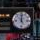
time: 5:00
